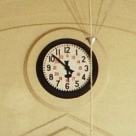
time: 5:51
